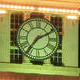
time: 7:10
